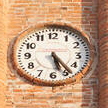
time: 5:23
